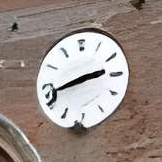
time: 2:42
